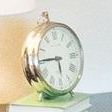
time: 5:45
